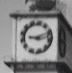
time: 9:12
